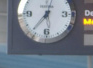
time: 12:36
